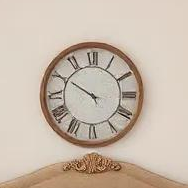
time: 9:50
